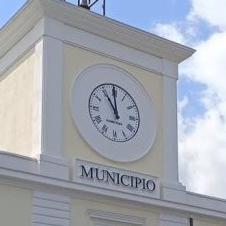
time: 10:59
